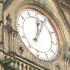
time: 12:04
